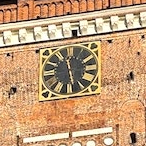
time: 11:28
